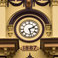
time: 2:27
